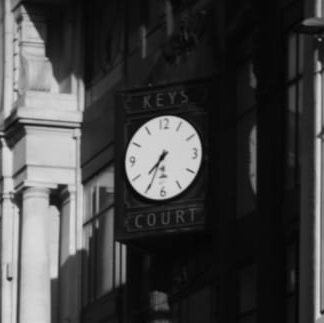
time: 7:34
